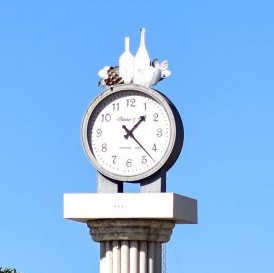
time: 1:22
